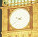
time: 9:39
